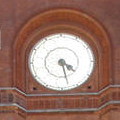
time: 4:27
